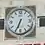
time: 6:34
